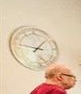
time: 1:46
